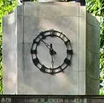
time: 11:52
